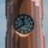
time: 11:39
